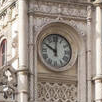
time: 10:00
